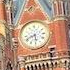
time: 5:40
